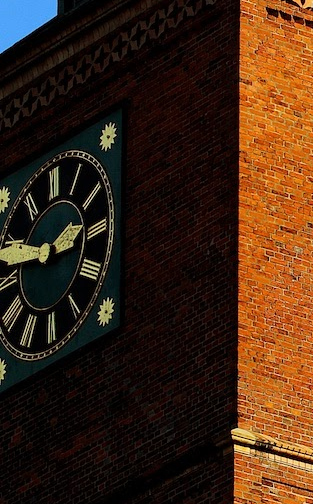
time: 2:48
